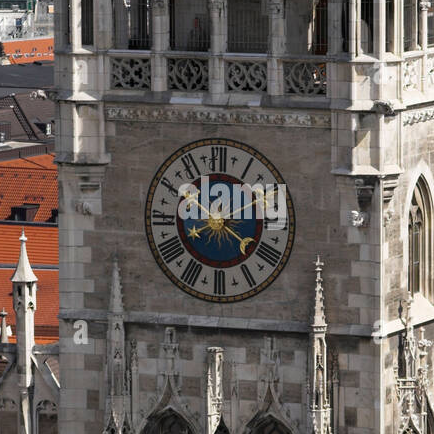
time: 4:14
